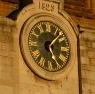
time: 5:07
